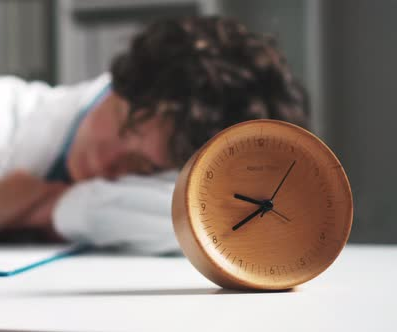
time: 9:39
